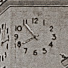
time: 7:53
